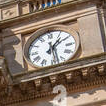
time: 1:28
